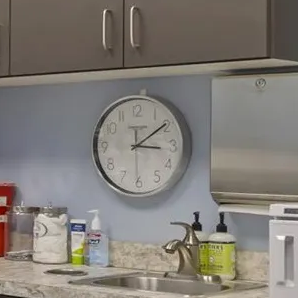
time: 3:09
